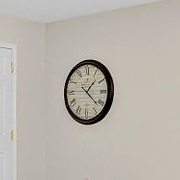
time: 1:21
